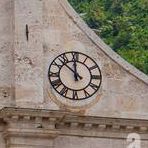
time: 11:52
